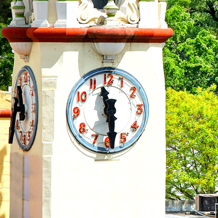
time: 11:29
